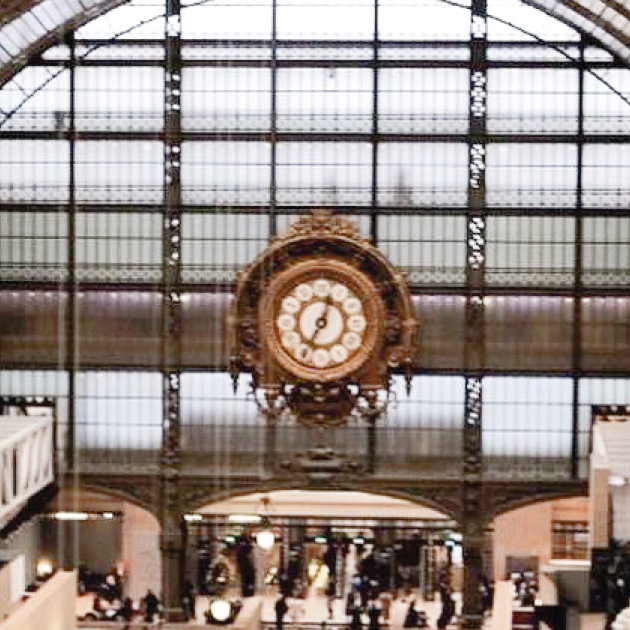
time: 12:34
